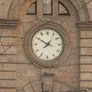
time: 7:49
